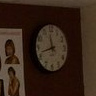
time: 11:42
